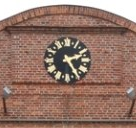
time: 2:24
